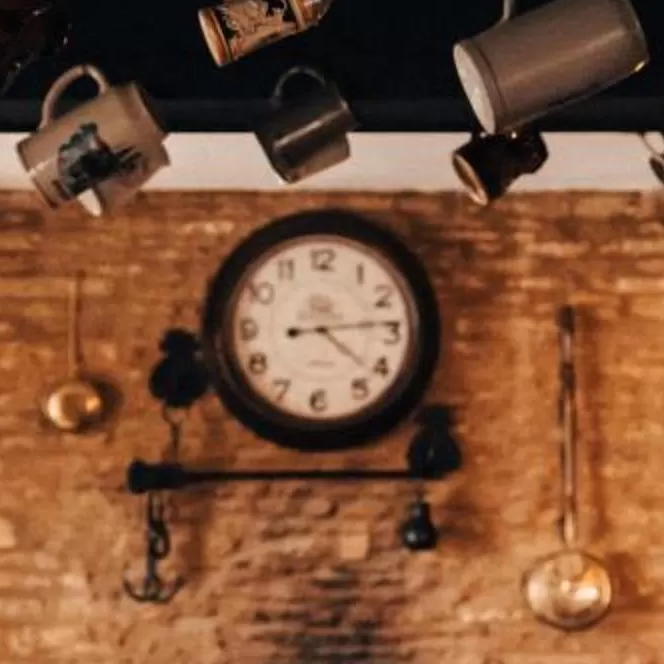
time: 4:13
